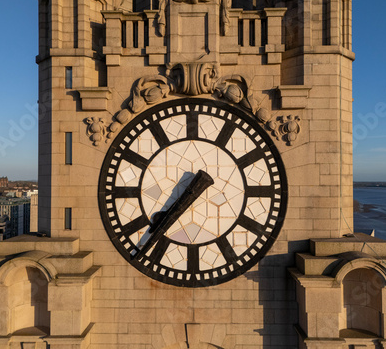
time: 7:36
